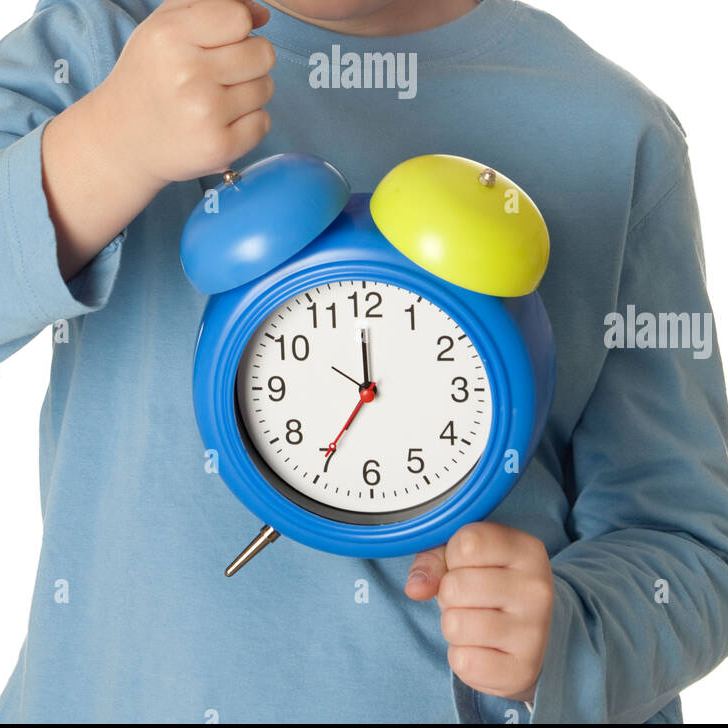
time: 6:59
